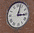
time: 3:02
